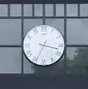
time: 3:34
